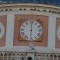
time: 6:00
